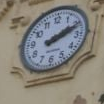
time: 2:11
